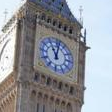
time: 11:01
